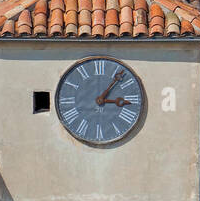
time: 3:06
